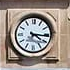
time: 4:15
